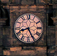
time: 8:25
